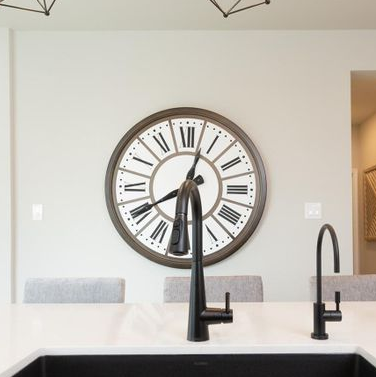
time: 5:40
